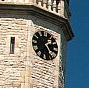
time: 1:24
